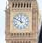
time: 11:49
